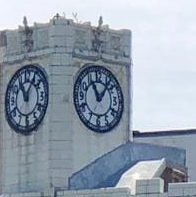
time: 11:06
